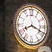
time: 8:18
